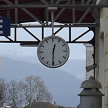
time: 12:30
